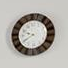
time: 9:40
